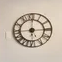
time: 12:14
